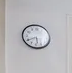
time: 5:40
